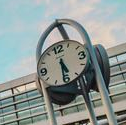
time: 5:31
